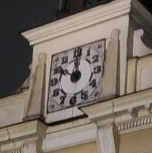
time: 10:00
